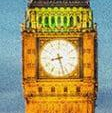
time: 8:27
